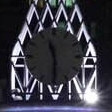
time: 11:29
